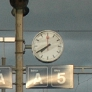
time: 7:39
